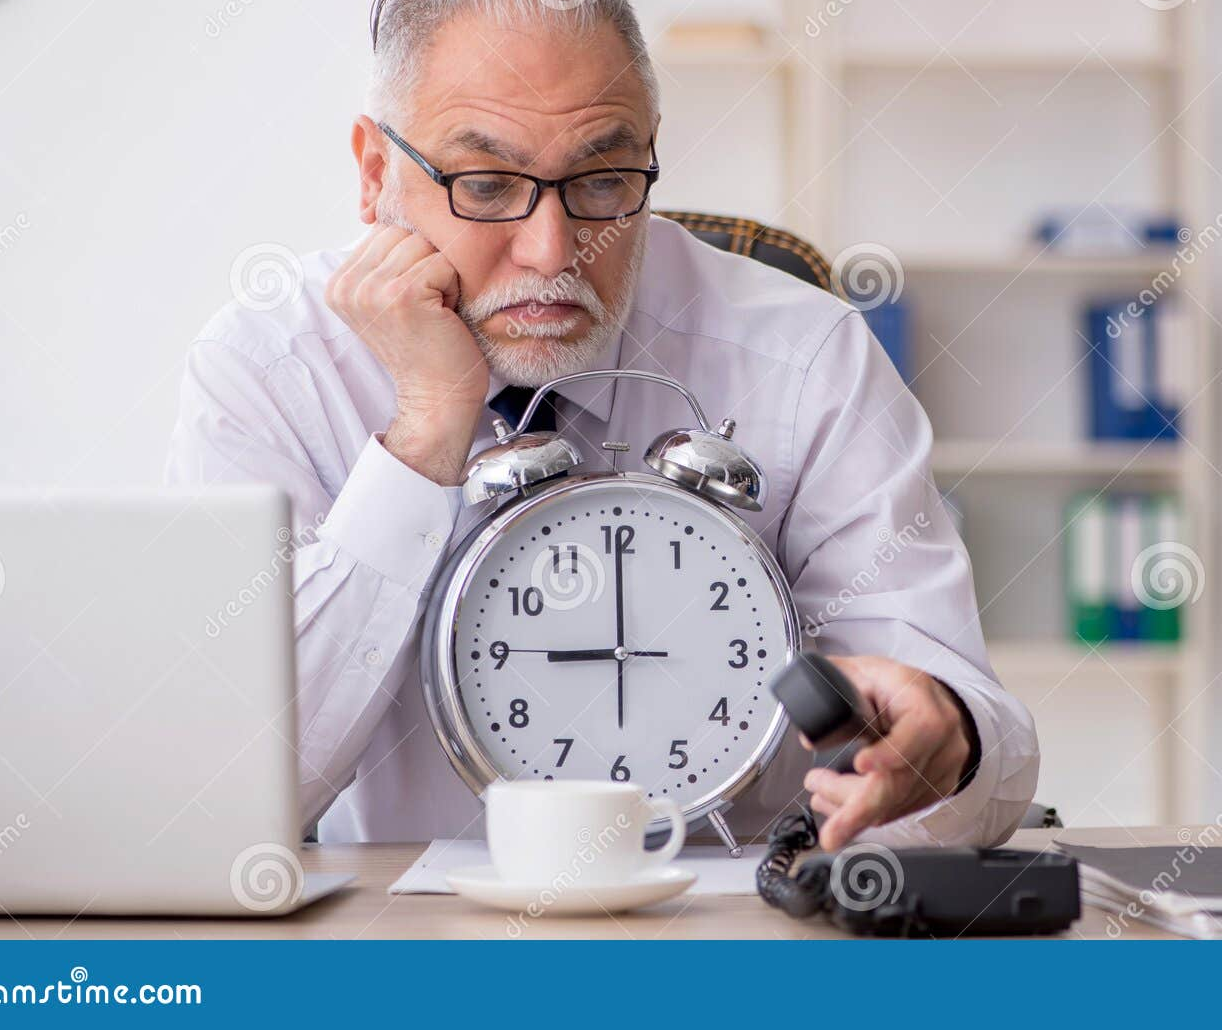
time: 9:00
